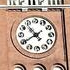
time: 10:40
